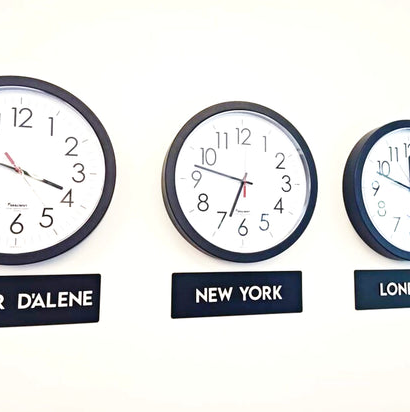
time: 6:47
